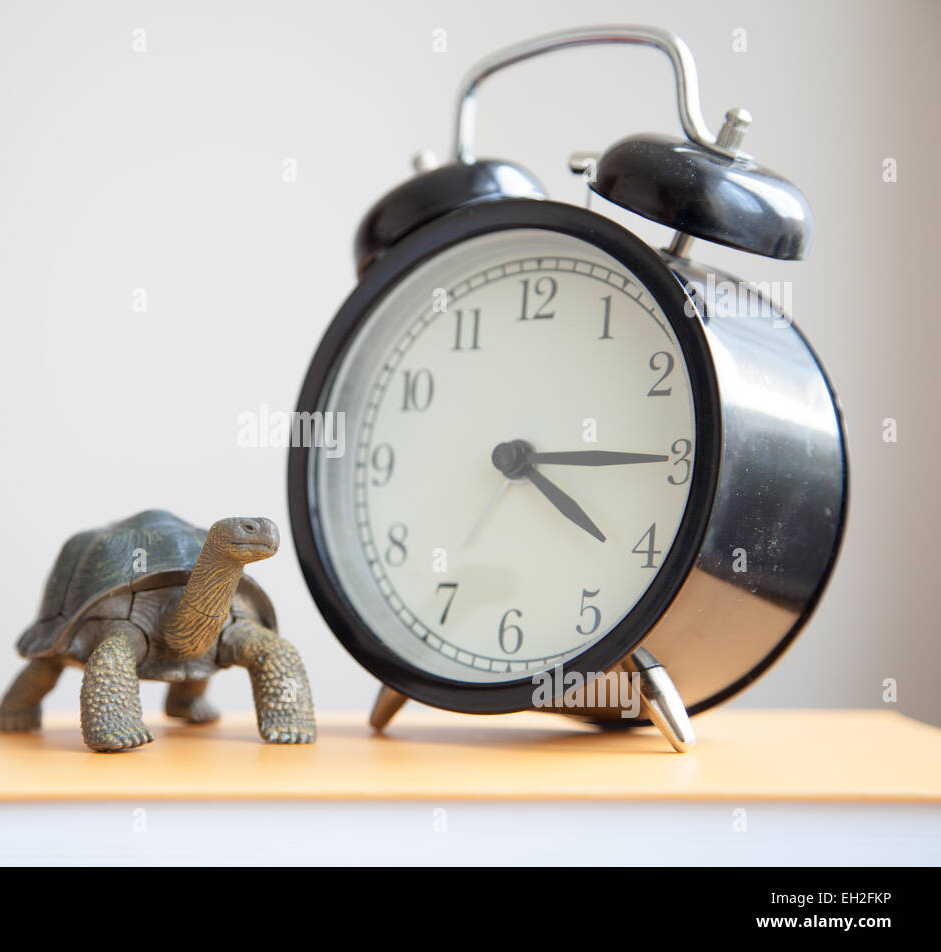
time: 4:15
